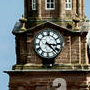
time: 3:22
